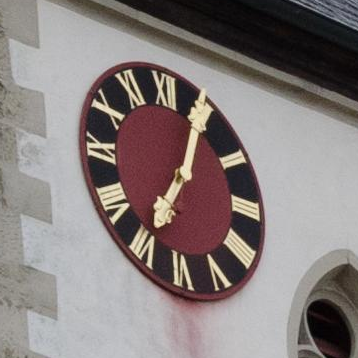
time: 7:03
